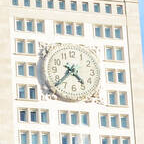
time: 4:37
